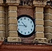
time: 10:45
